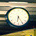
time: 6:24
